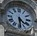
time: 4:29
